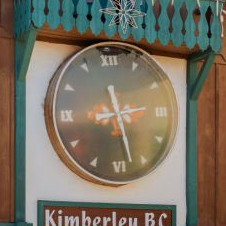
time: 2:27
